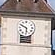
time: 5:49
